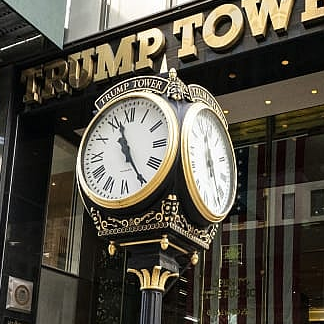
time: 11:24
